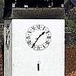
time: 1:36
